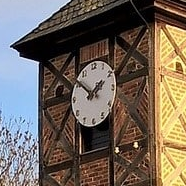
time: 1:51
